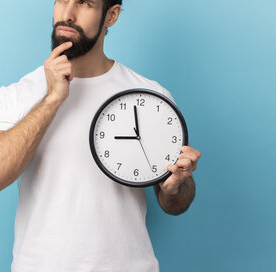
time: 8:58
